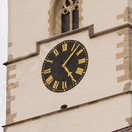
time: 1:24
